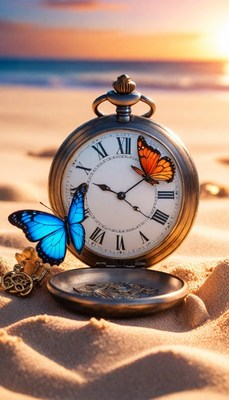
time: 9:21
